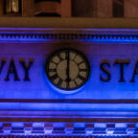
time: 6:00
